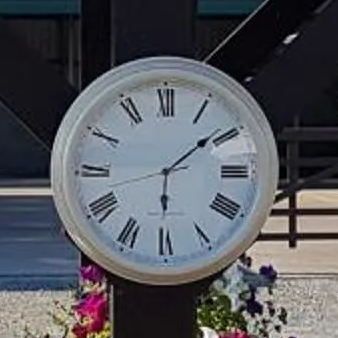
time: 6:08
